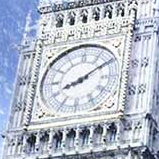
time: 8:09
